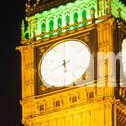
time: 5:41
